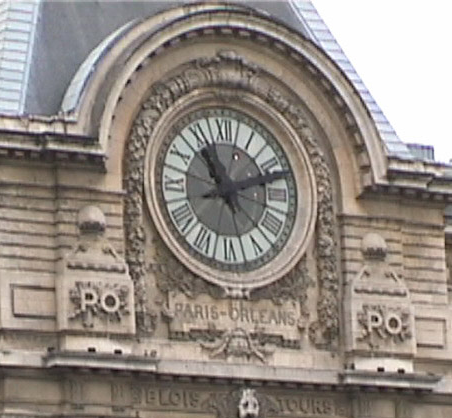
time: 11:12
